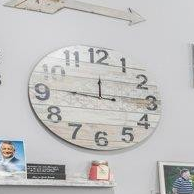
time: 11:46
